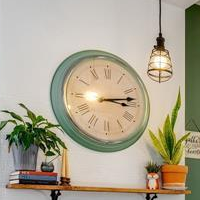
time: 3:13
